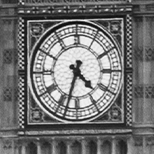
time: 4:33
